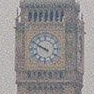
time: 9:49
